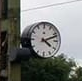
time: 4:11
